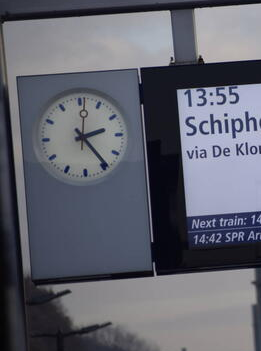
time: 2:23
